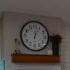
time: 12:03
